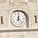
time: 12:22
